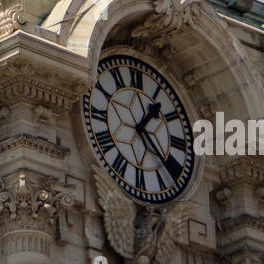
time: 1:22
